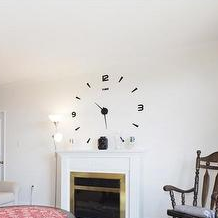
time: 10:28
